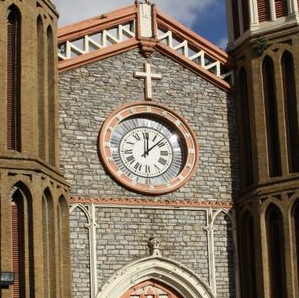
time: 12:07
